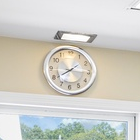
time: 1:39
